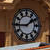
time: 1:44
